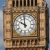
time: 9:58
